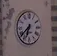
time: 6:38
